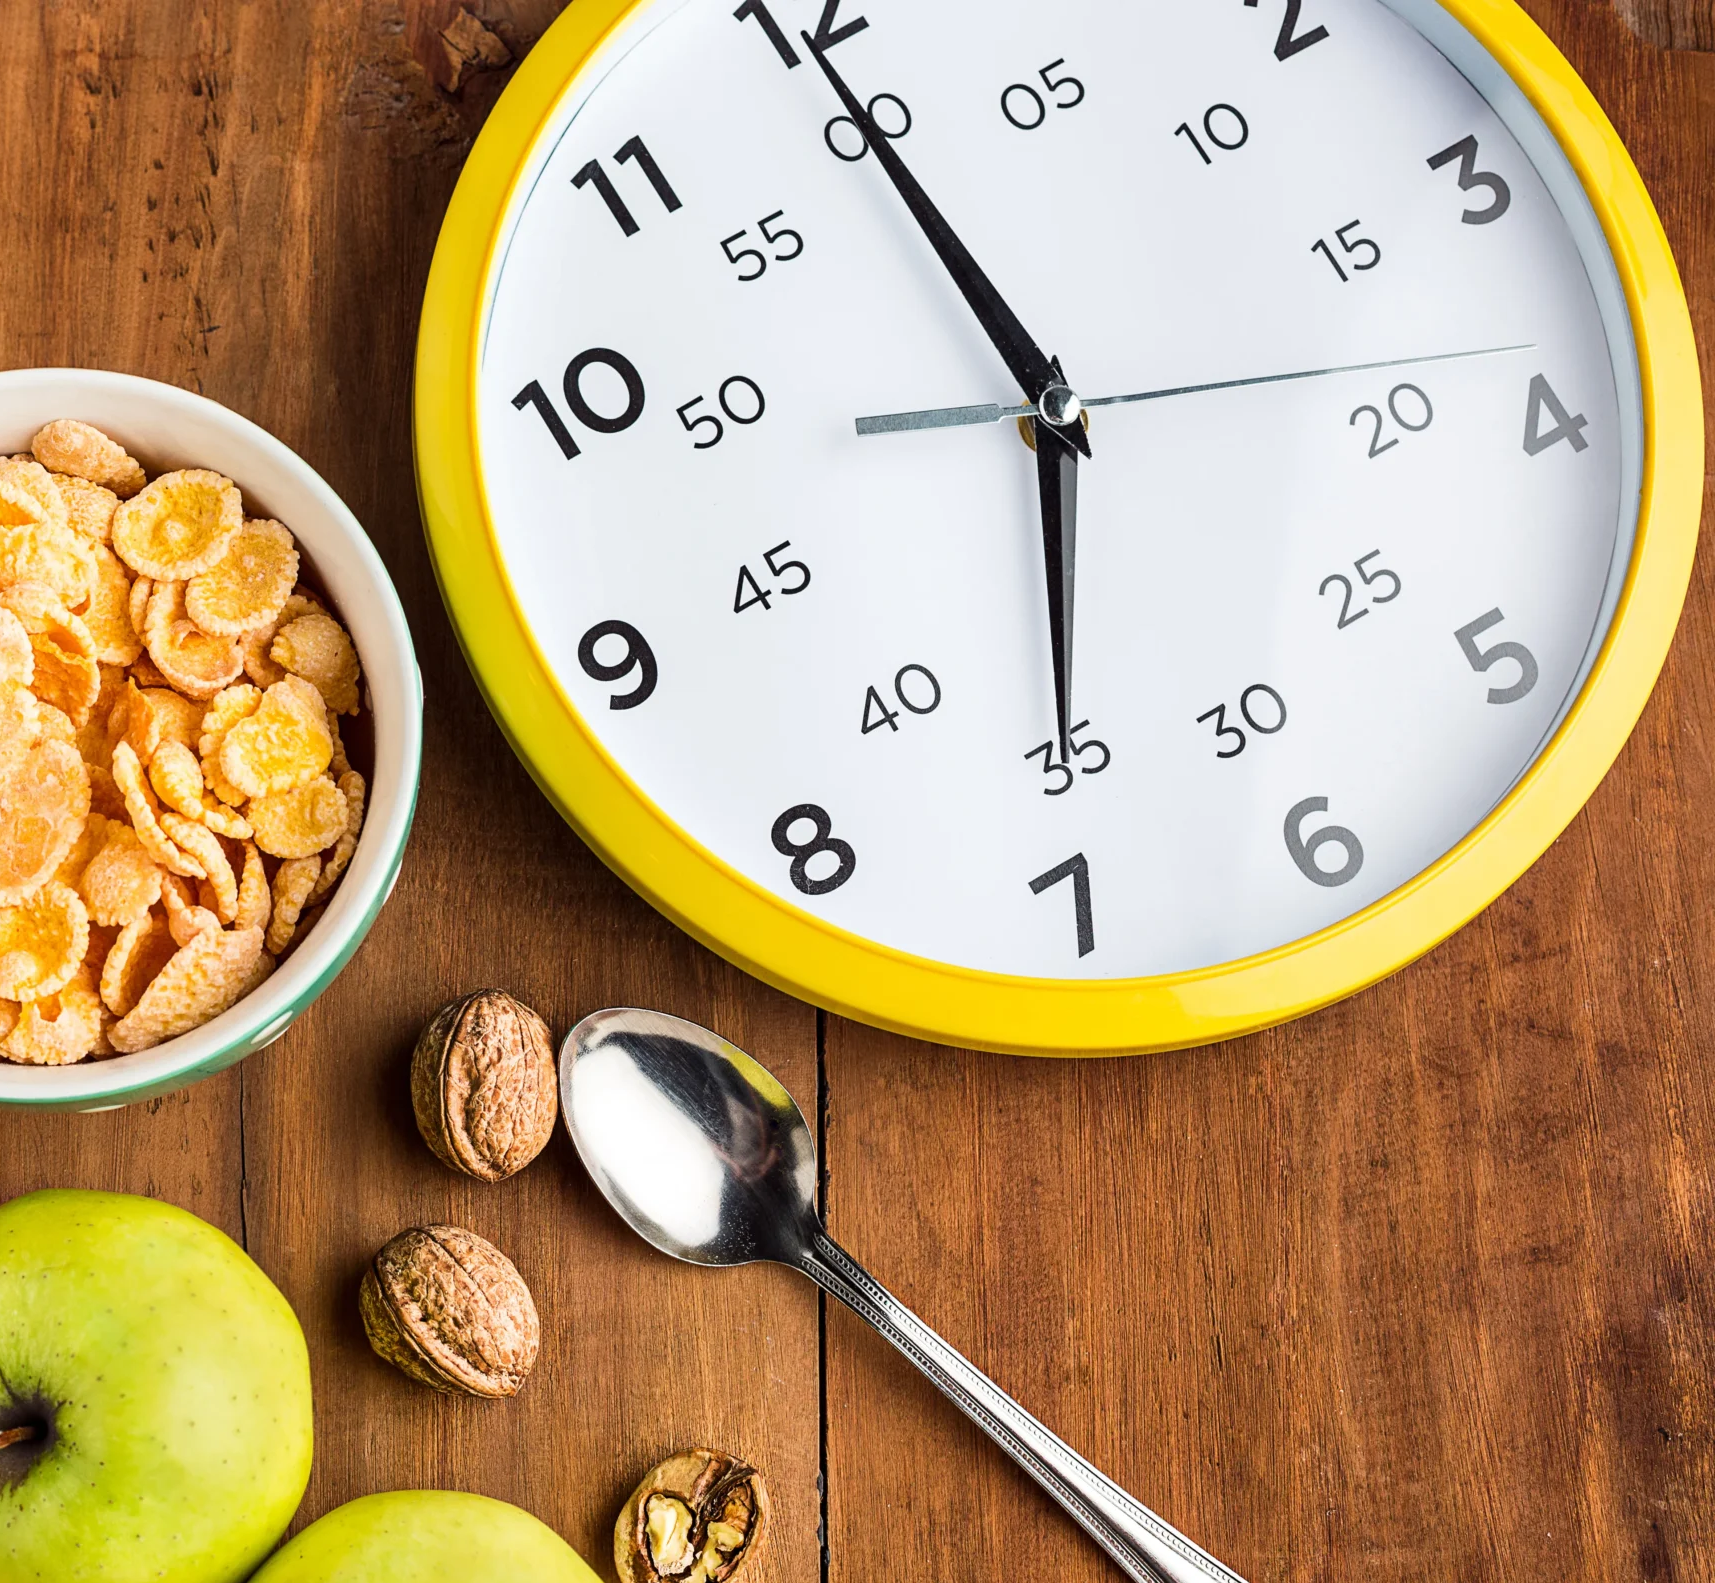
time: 5:55
